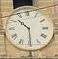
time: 10:29
